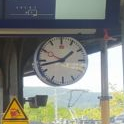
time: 1:42
